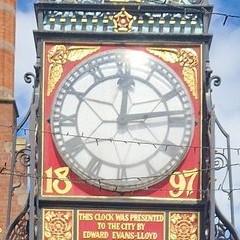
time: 12:13
